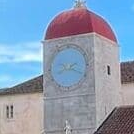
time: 8:18
